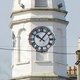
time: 10:06
